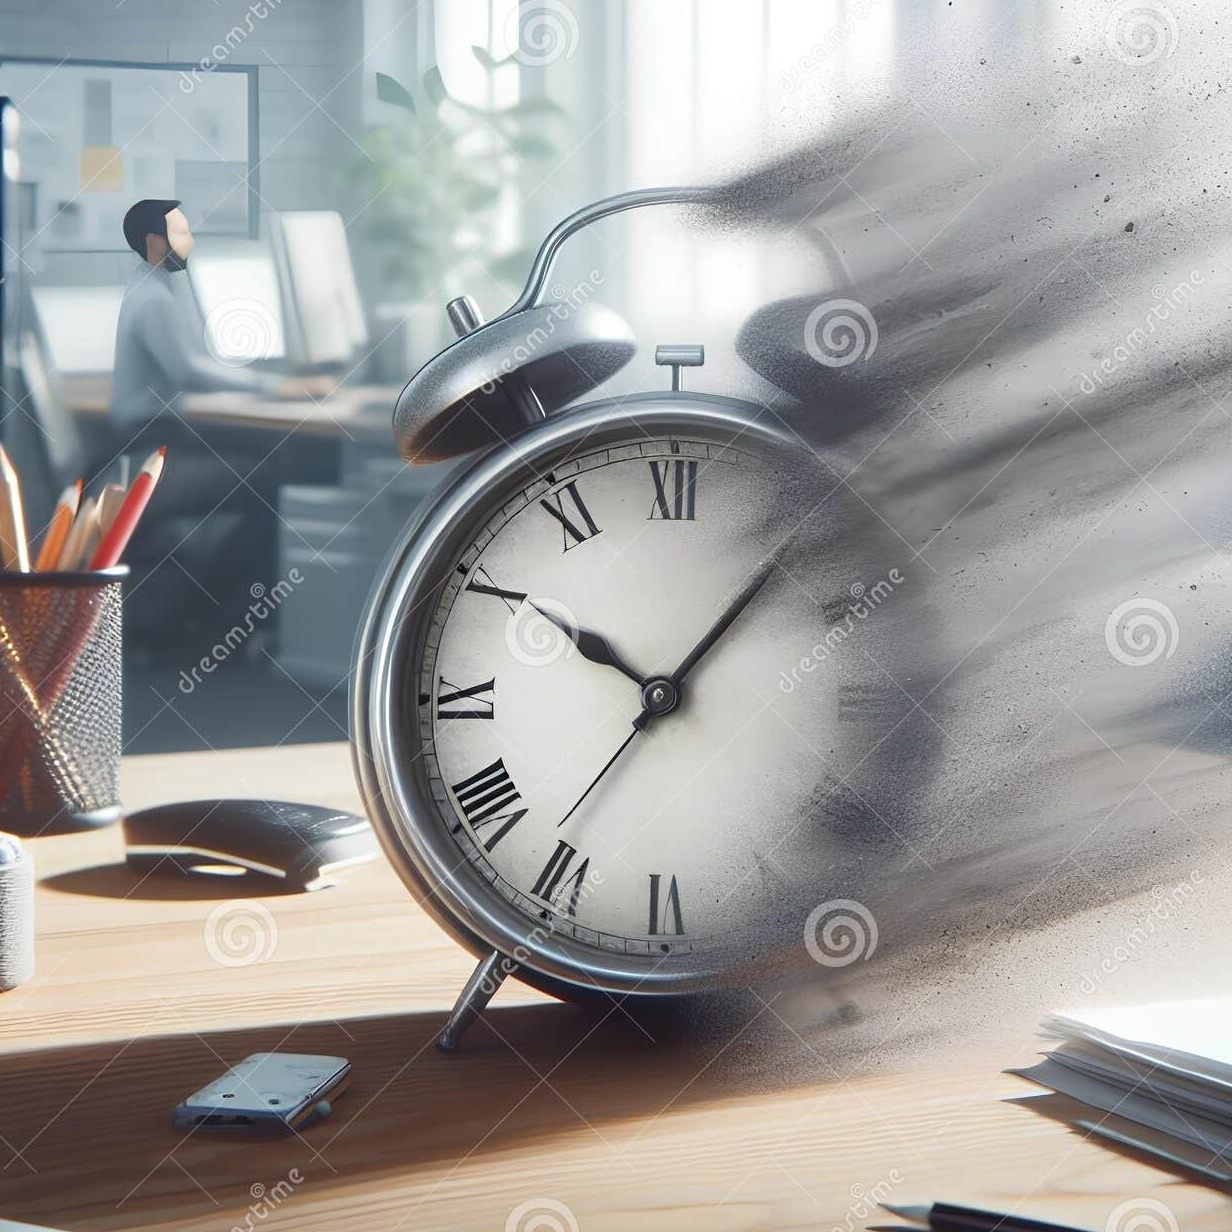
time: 10:07
